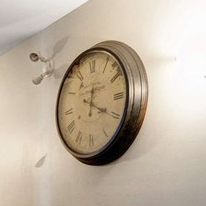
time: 12:19
